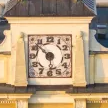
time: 5:52
